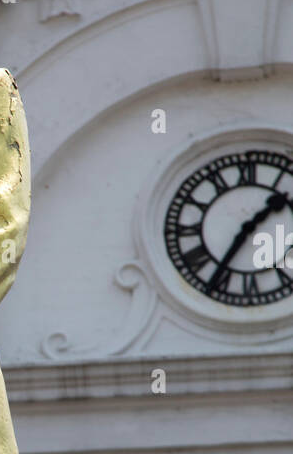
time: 1:35
